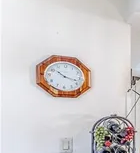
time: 10:18
